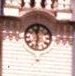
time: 11:32
